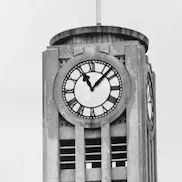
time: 11:07
